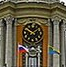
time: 1:50
